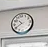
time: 10:40
